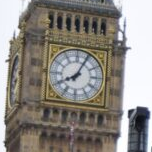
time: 8:04
